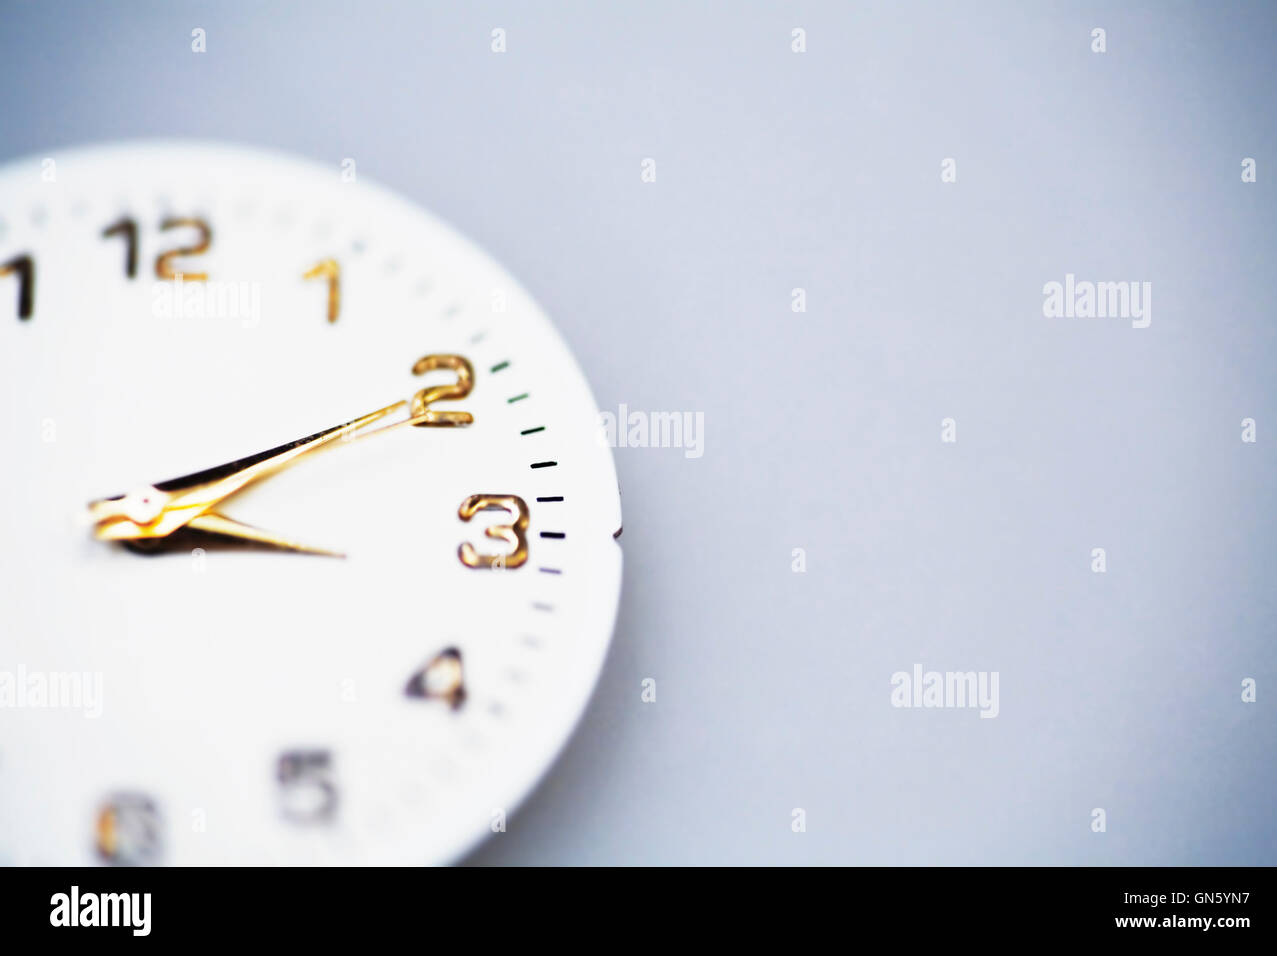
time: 3:10
